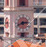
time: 2:40
